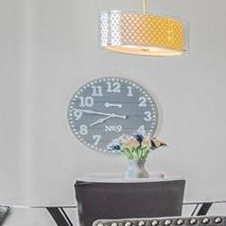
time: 7:46
